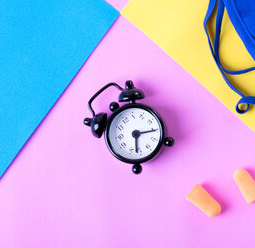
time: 6:15
